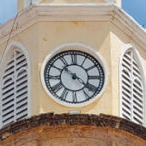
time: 10:22
